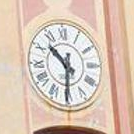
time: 10:30
